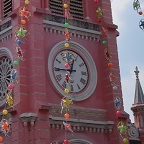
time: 12:44
